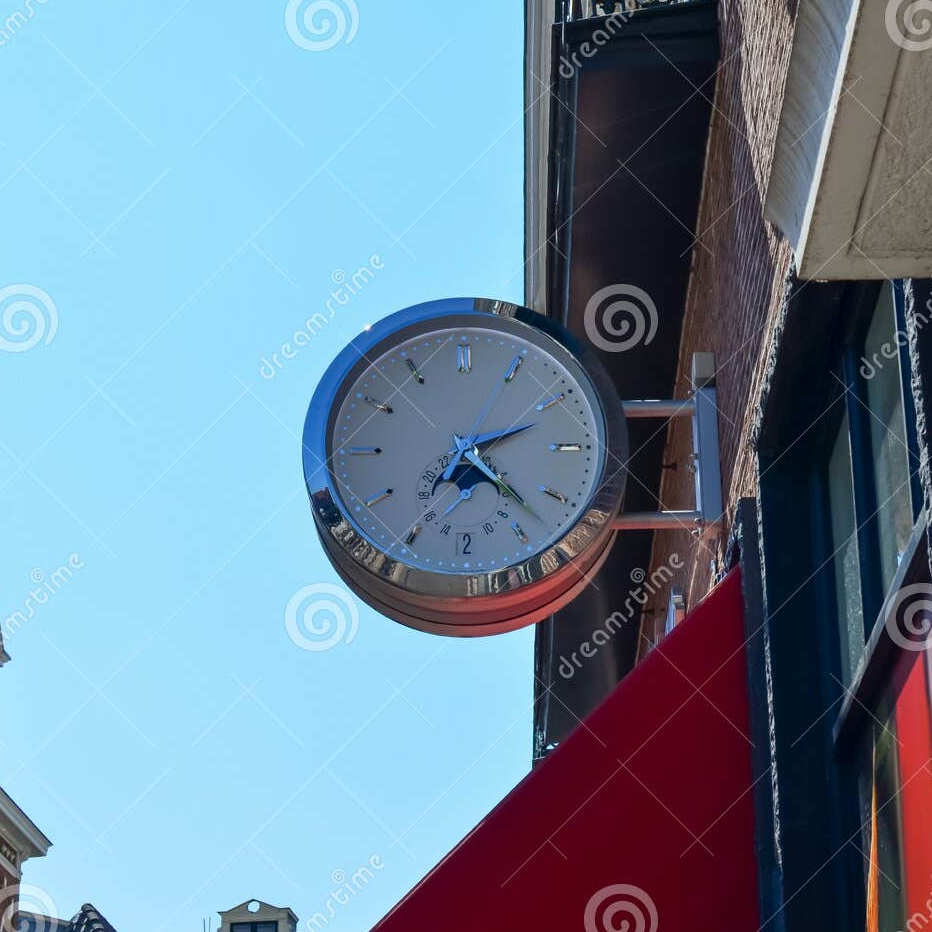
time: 2:22
